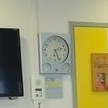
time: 5:12
